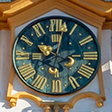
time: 10:02
